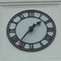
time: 1:36
